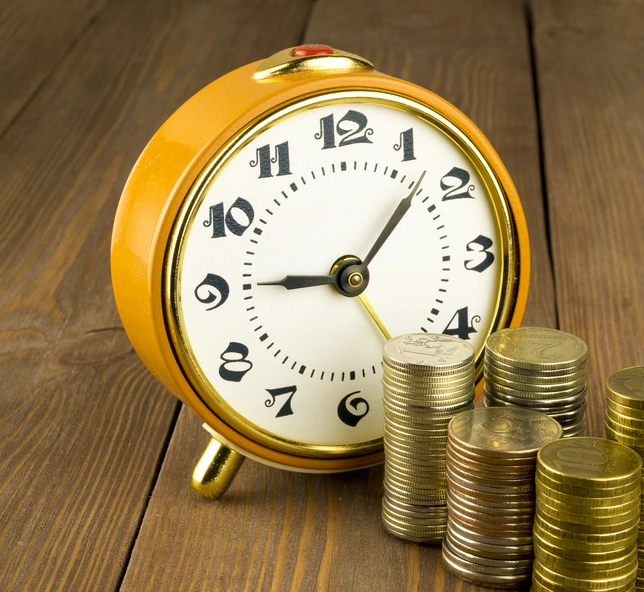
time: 9:07
